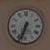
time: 6:33
